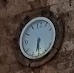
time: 6:30
